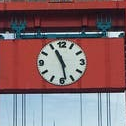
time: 11:28
